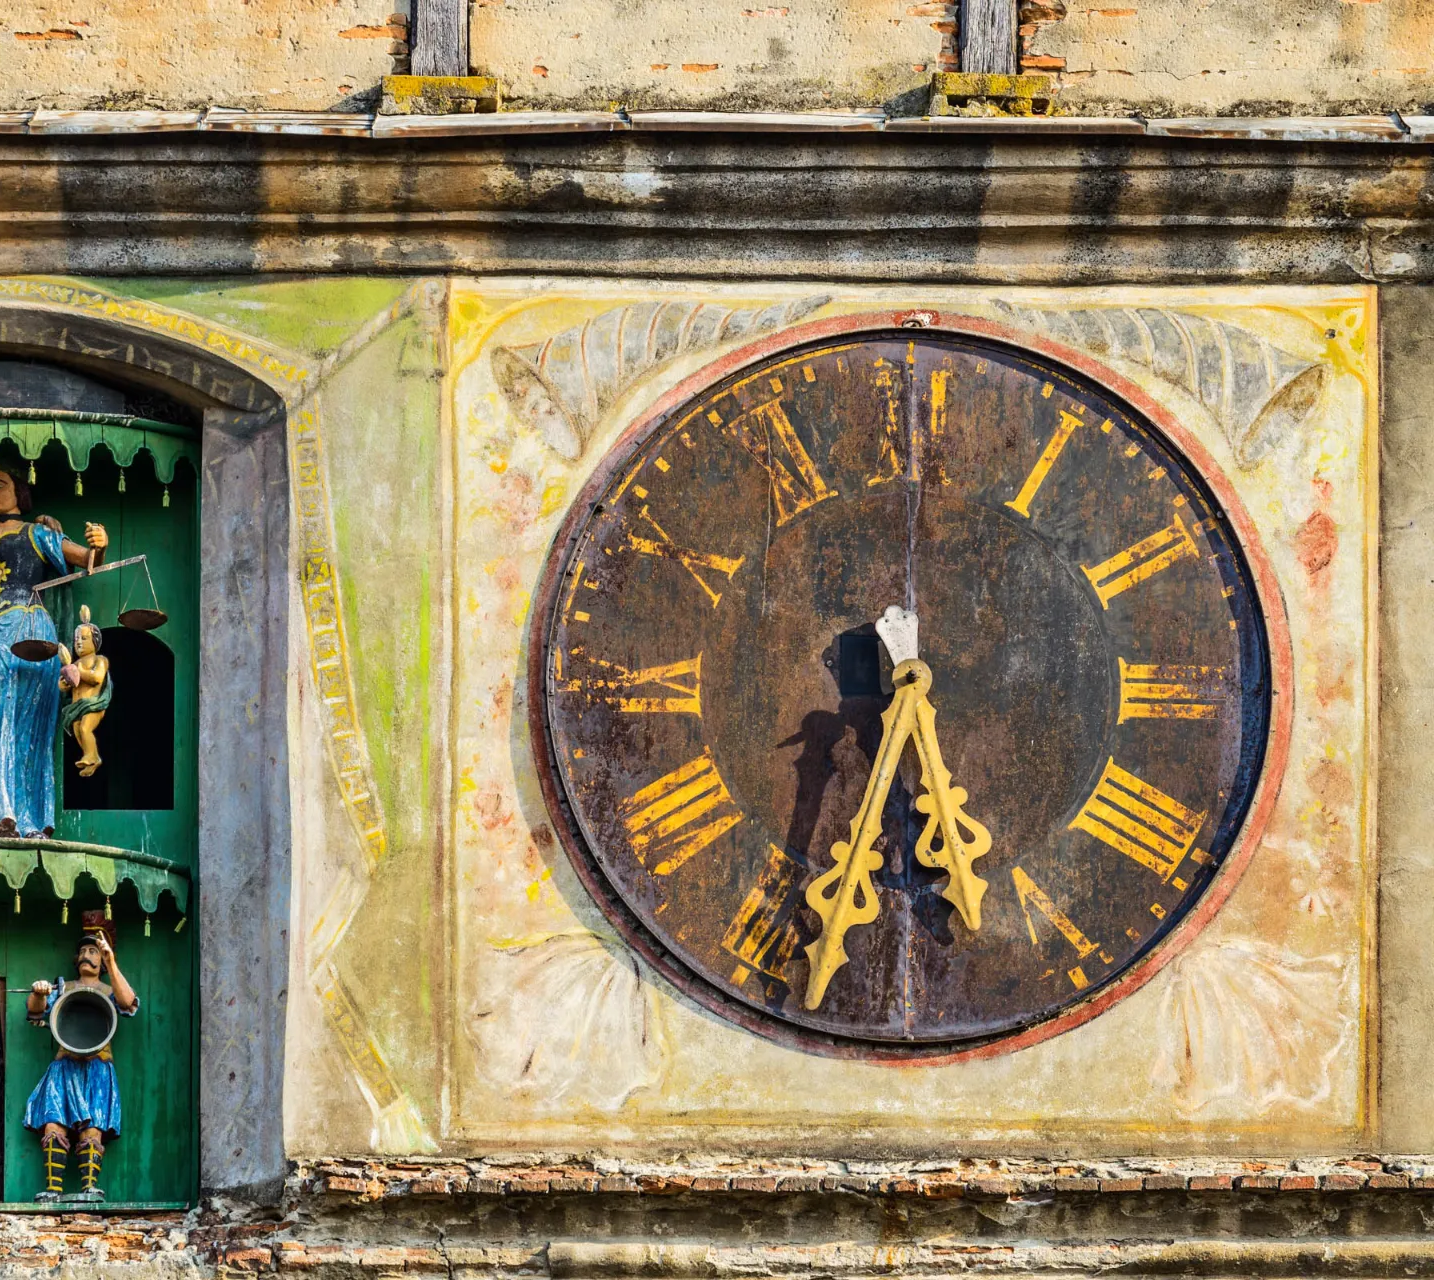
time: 5:32
